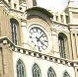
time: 4:07
